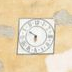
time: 5:49
